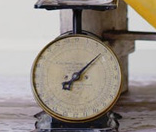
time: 8:07
